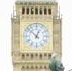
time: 12:52
